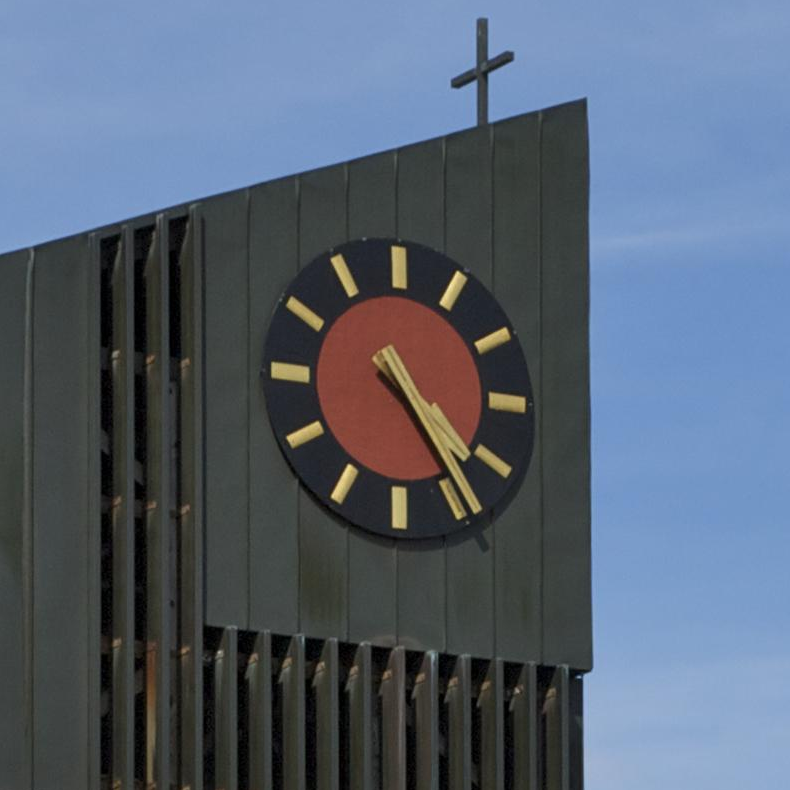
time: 4:23
